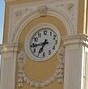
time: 6:43
